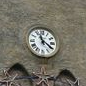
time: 11:20
